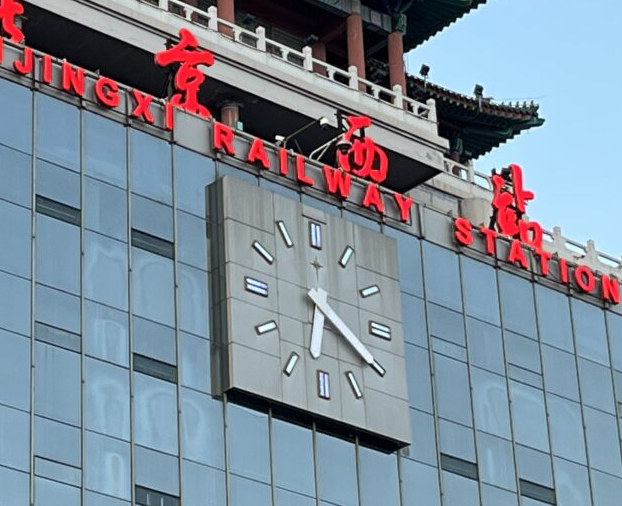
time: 6:20
